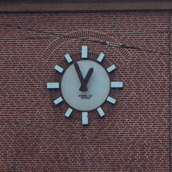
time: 12:56
